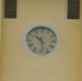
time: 10:28
